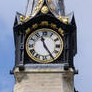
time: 11:24
